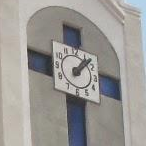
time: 1:07
